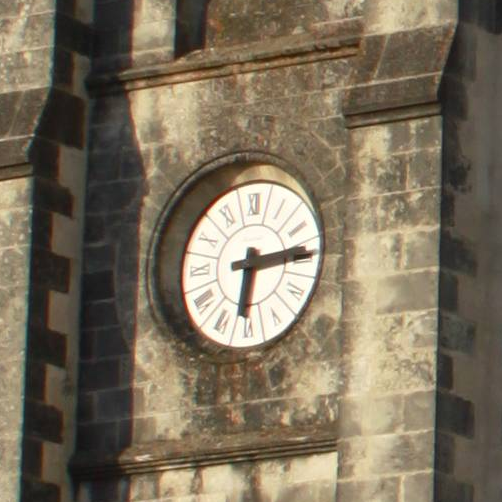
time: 6:14
